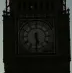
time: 5:30
